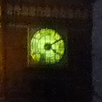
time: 4:09
